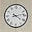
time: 4:13
